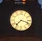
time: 7:18
